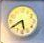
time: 5:39
